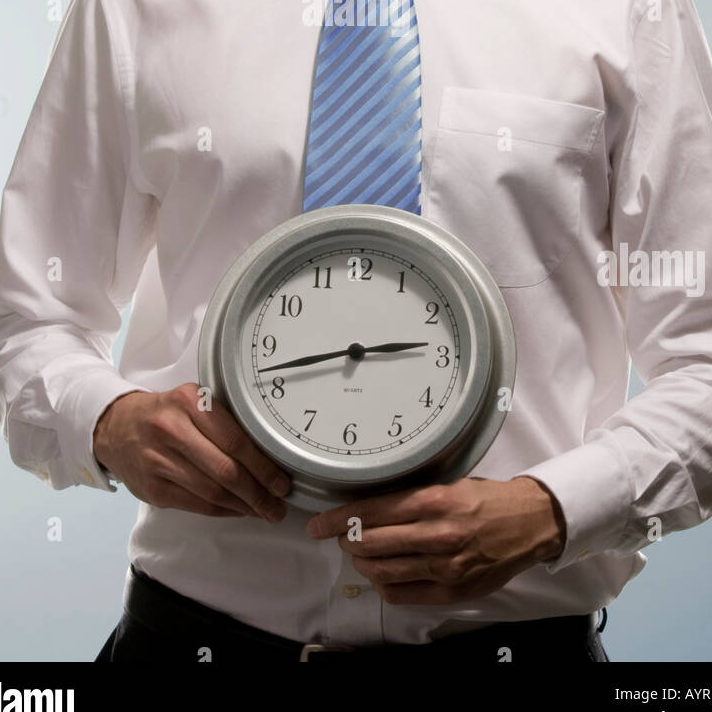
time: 2:42
